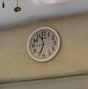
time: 11:33
